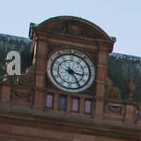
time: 3:24
